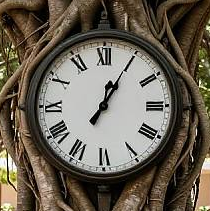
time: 12:04
